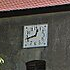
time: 12:42
